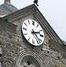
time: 2:23
